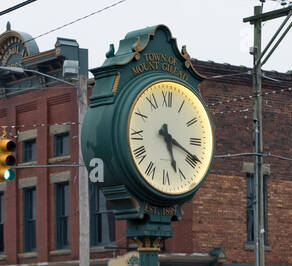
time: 5:18
